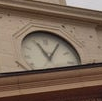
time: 11:05
